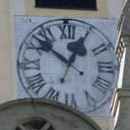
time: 12:52
